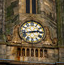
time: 2:42
